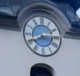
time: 8:15
